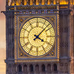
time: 4:07
